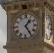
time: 1:24
